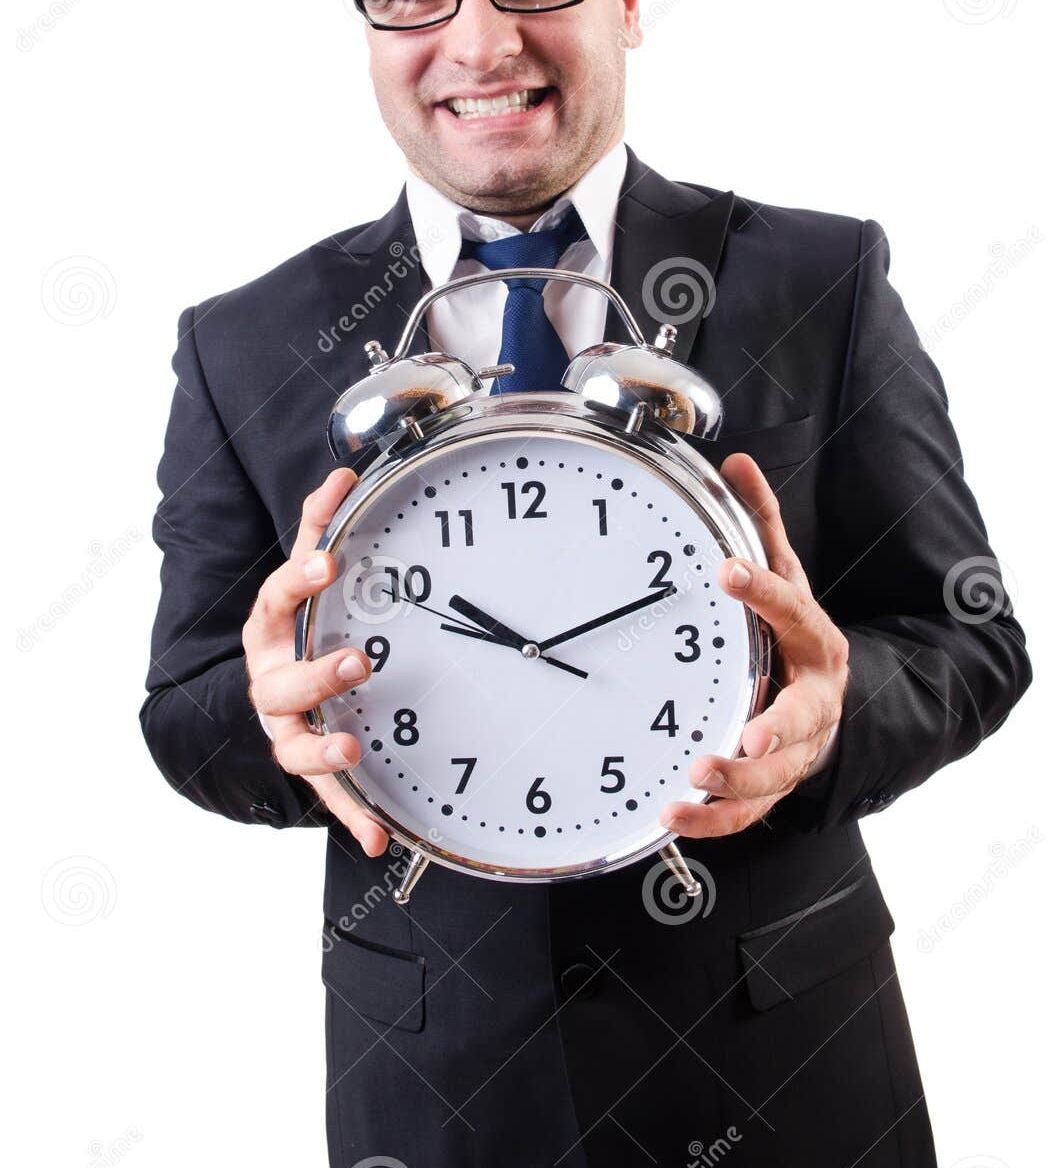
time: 10:11
